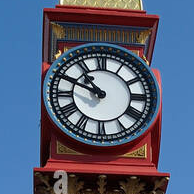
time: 10:48
